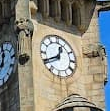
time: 12:40
